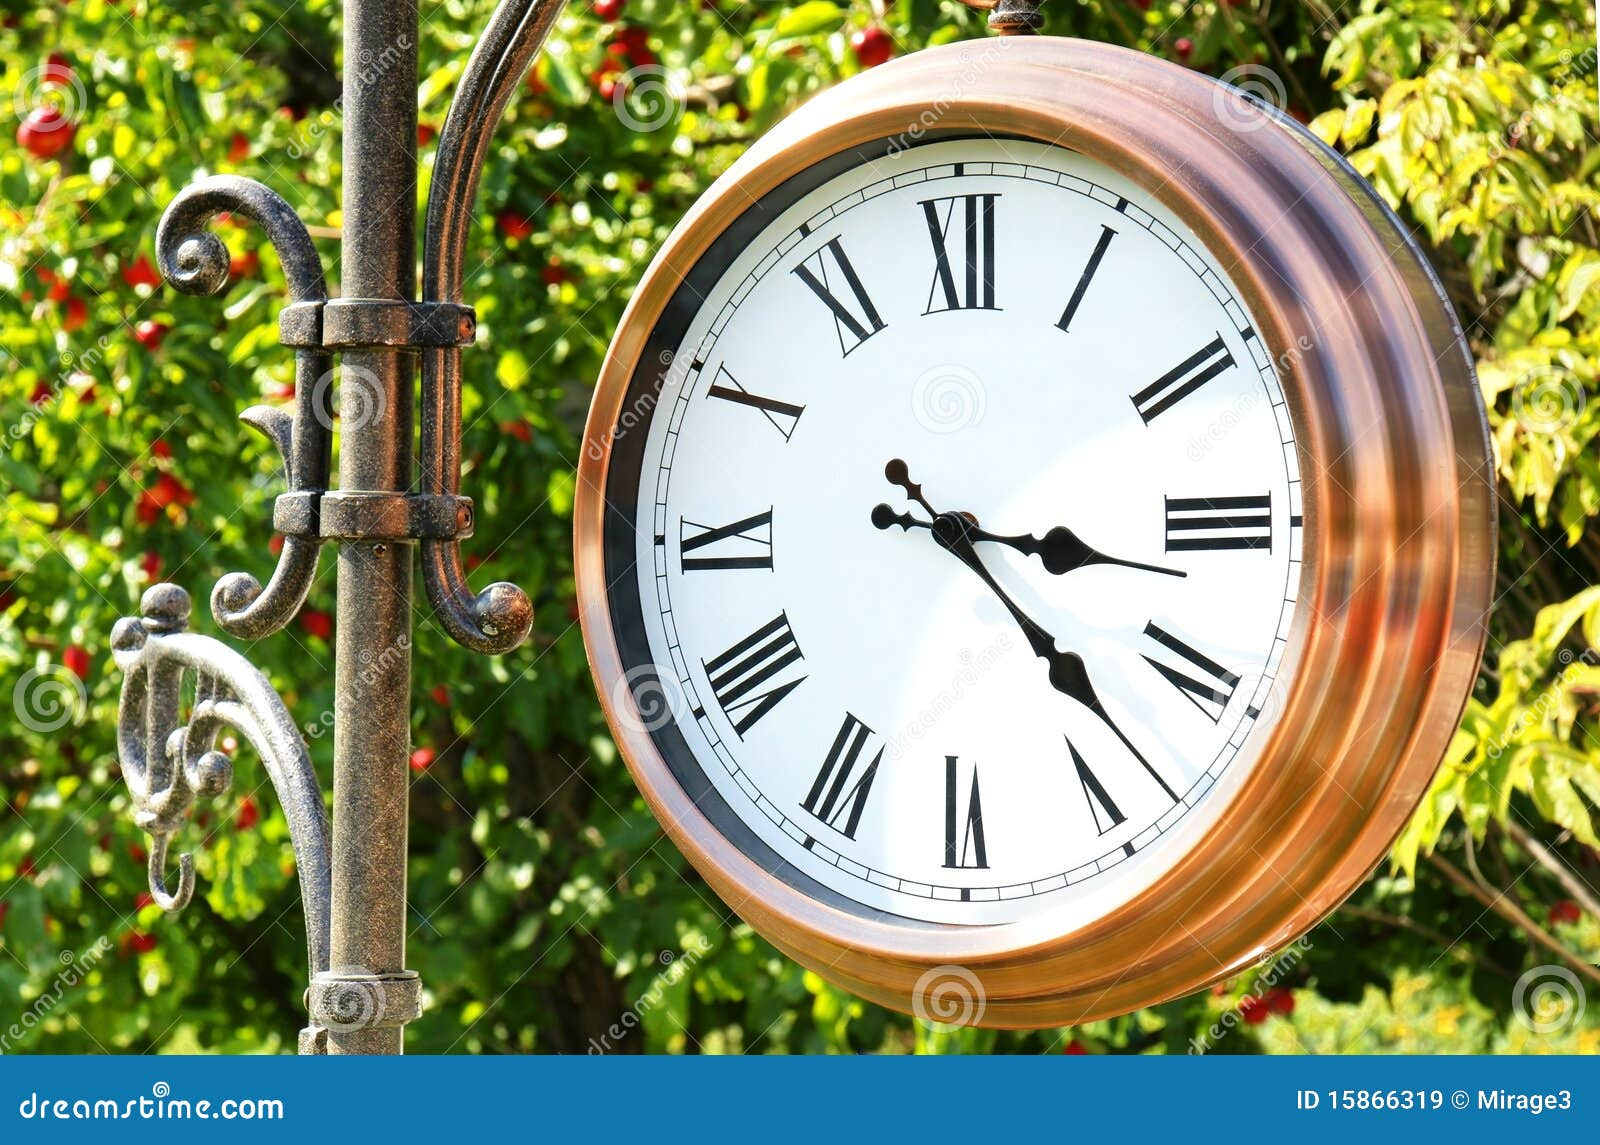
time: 3:22
